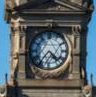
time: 4:36
